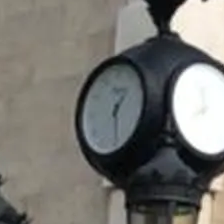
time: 1:28
